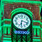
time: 6:17
